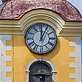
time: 12:05
